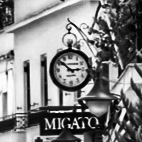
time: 2:52
